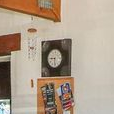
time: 5:44
